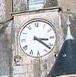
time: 3:21
